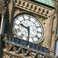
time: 9:29
